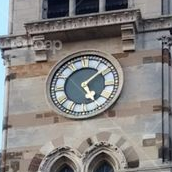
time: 5:08
